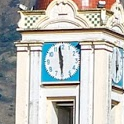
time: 5:58
